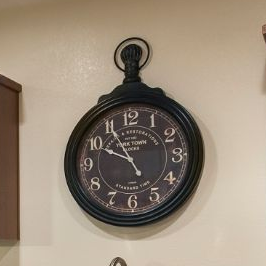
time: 9:54
